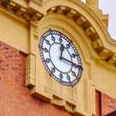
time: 12:14
